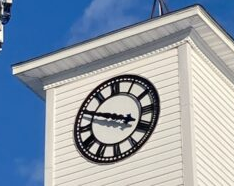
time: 3:48
